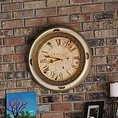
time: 8:47
